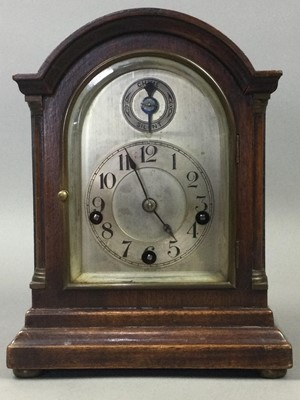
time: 4:55
